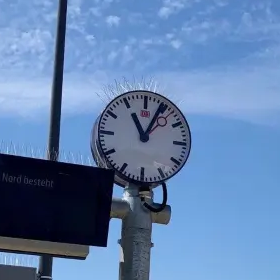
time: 11:04
